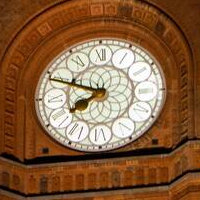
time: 7:48
